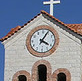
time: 4:04
